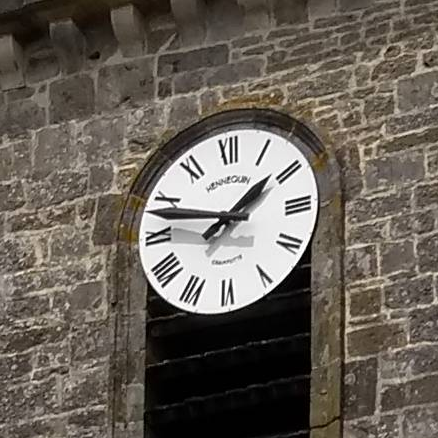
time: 1:47
